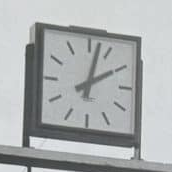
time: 2:02
